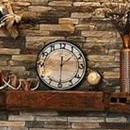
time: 1:30
